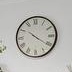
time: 10:20
